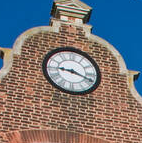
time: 9:18
